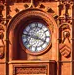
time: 3:47
